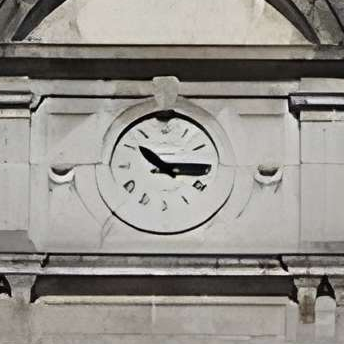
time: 10:15
